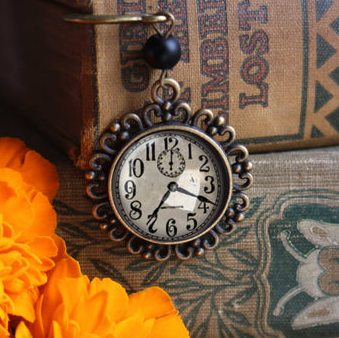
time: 7:18
